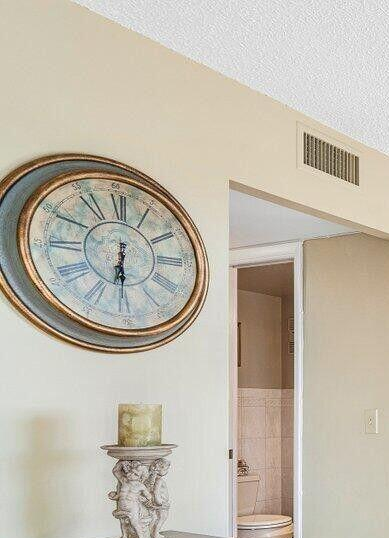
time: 6:30
